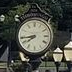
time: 7:43
